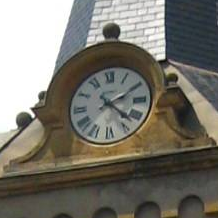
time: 2:22
